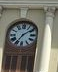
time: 7:08
